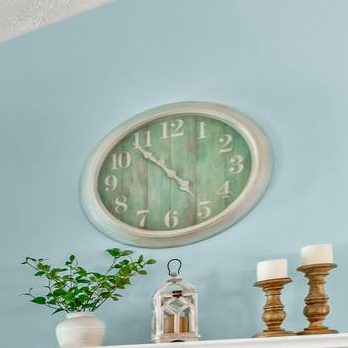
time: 4:52
